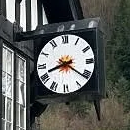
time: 8:21
